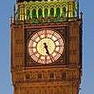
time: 5:26
